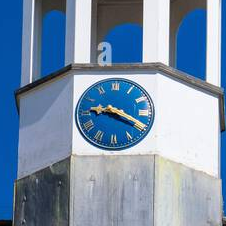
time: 9:19
